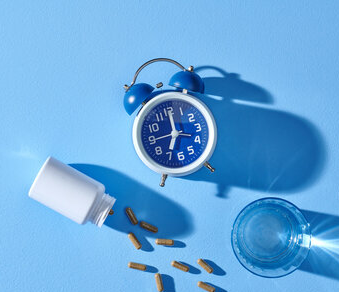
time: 7:00
